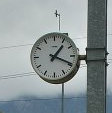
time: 1:19
